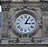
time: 3:04
